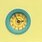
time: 2:54
